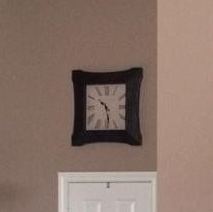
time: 10:28
